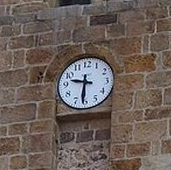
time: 9:31
